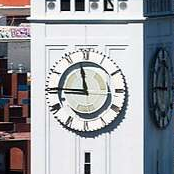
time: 11:45
